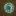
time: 5:40
